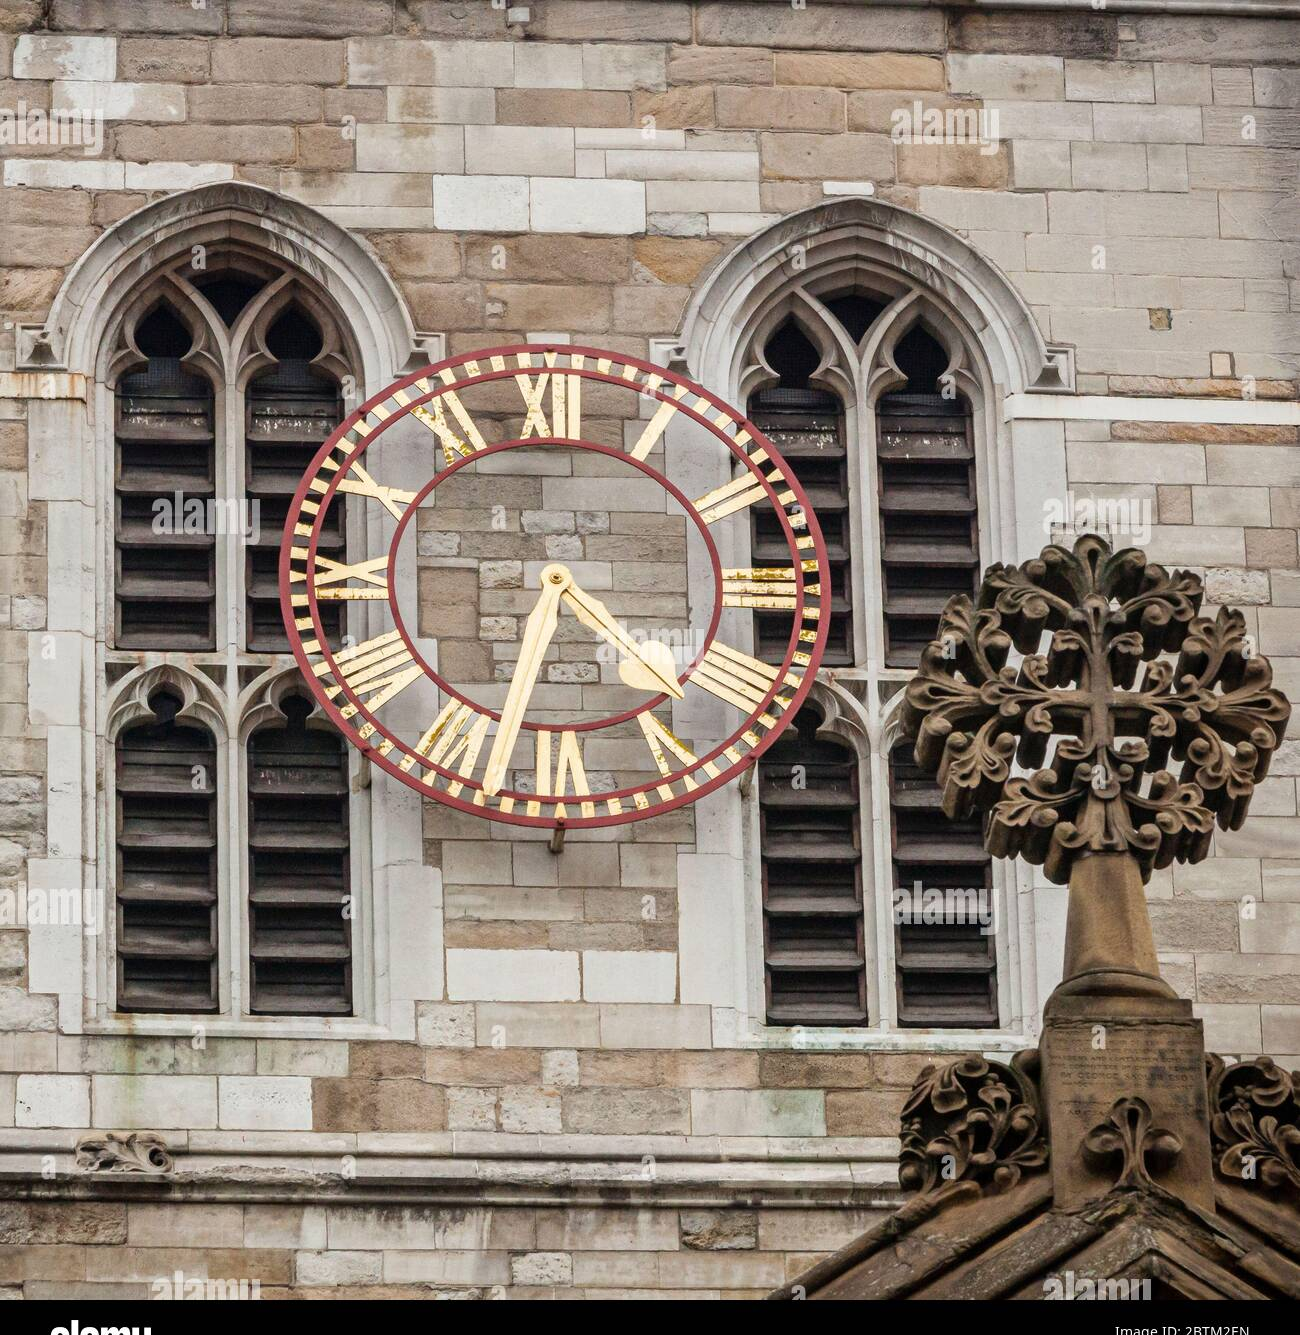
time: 4:32
